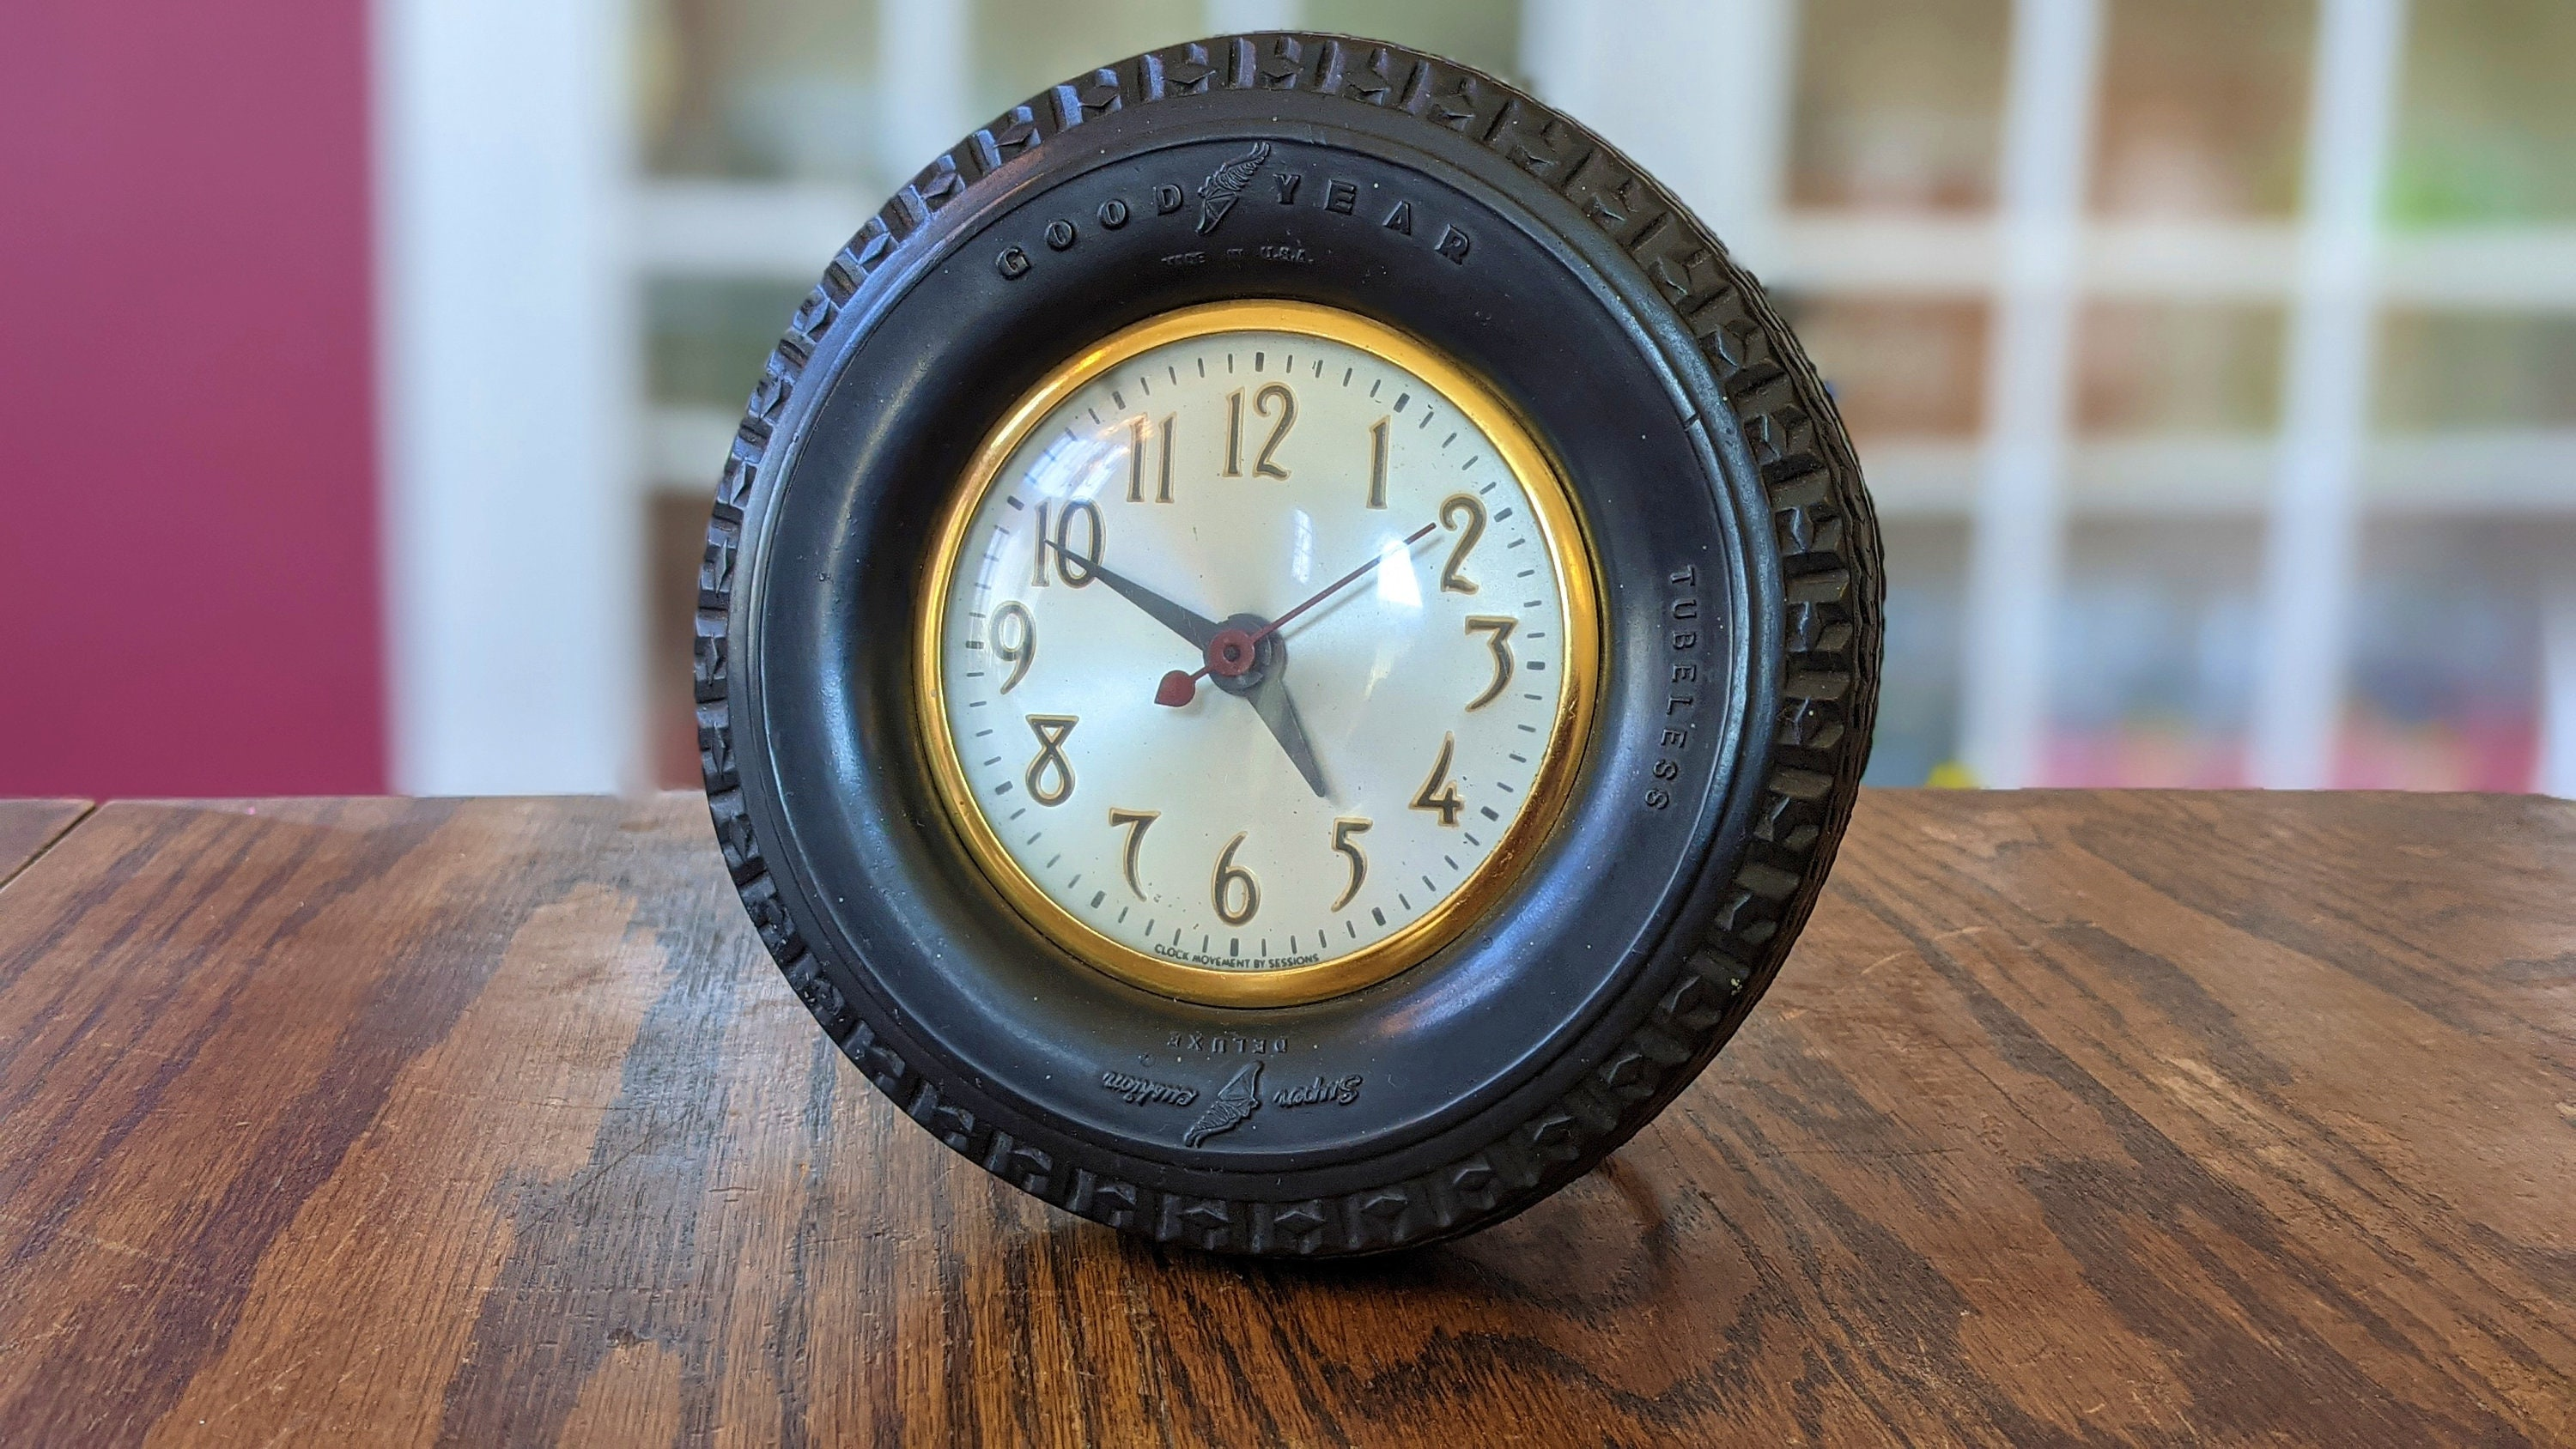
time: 4:49
